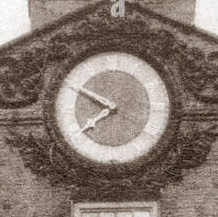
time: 7:49
